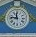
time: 11:46
